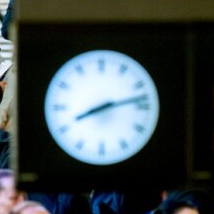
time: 8:12
